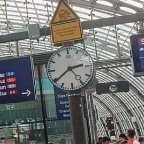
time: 2:39
